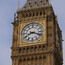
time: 8:18
